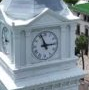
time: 2:56
